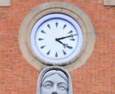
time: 4:12
